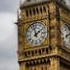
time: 1:57
